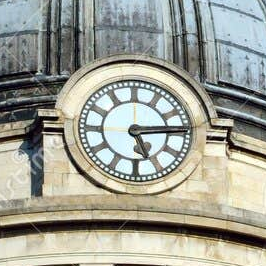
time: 5:14
